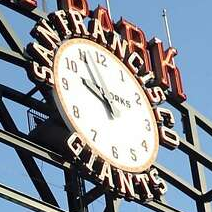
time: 9:55
